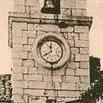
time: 11:40
